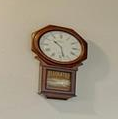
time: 10:28
